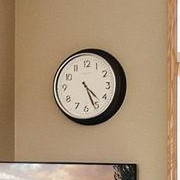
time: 4:26
